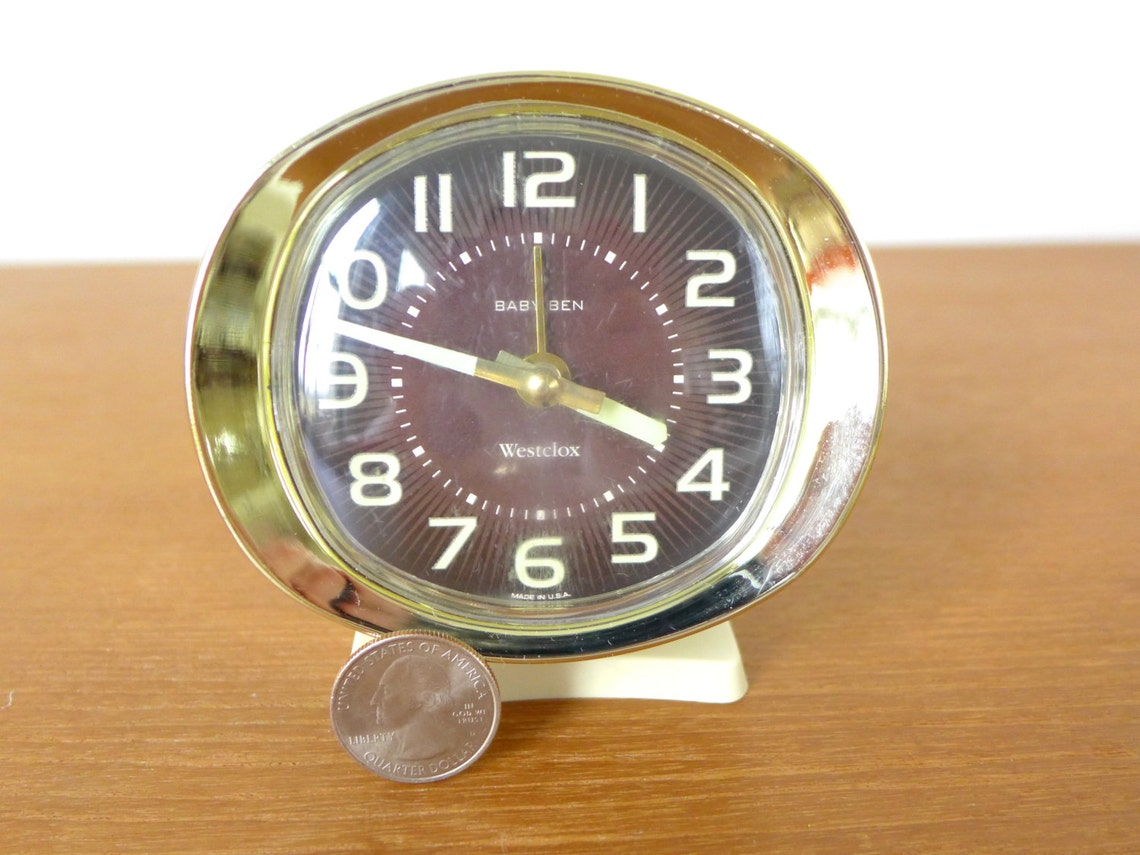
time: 3:47
